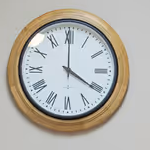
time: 4:00
